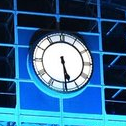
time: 5:29
